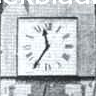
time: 11:35
